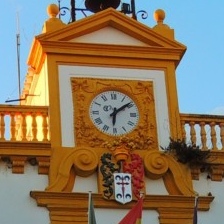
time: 6:08
